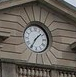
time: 1:35
